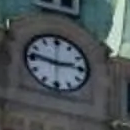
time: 2:46
